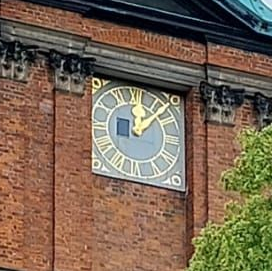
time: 12:07
